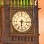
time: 6:15
